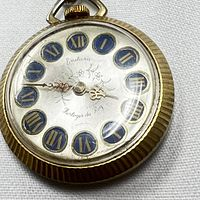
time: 3:46
